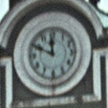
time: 11:49
